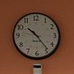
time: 10:23
